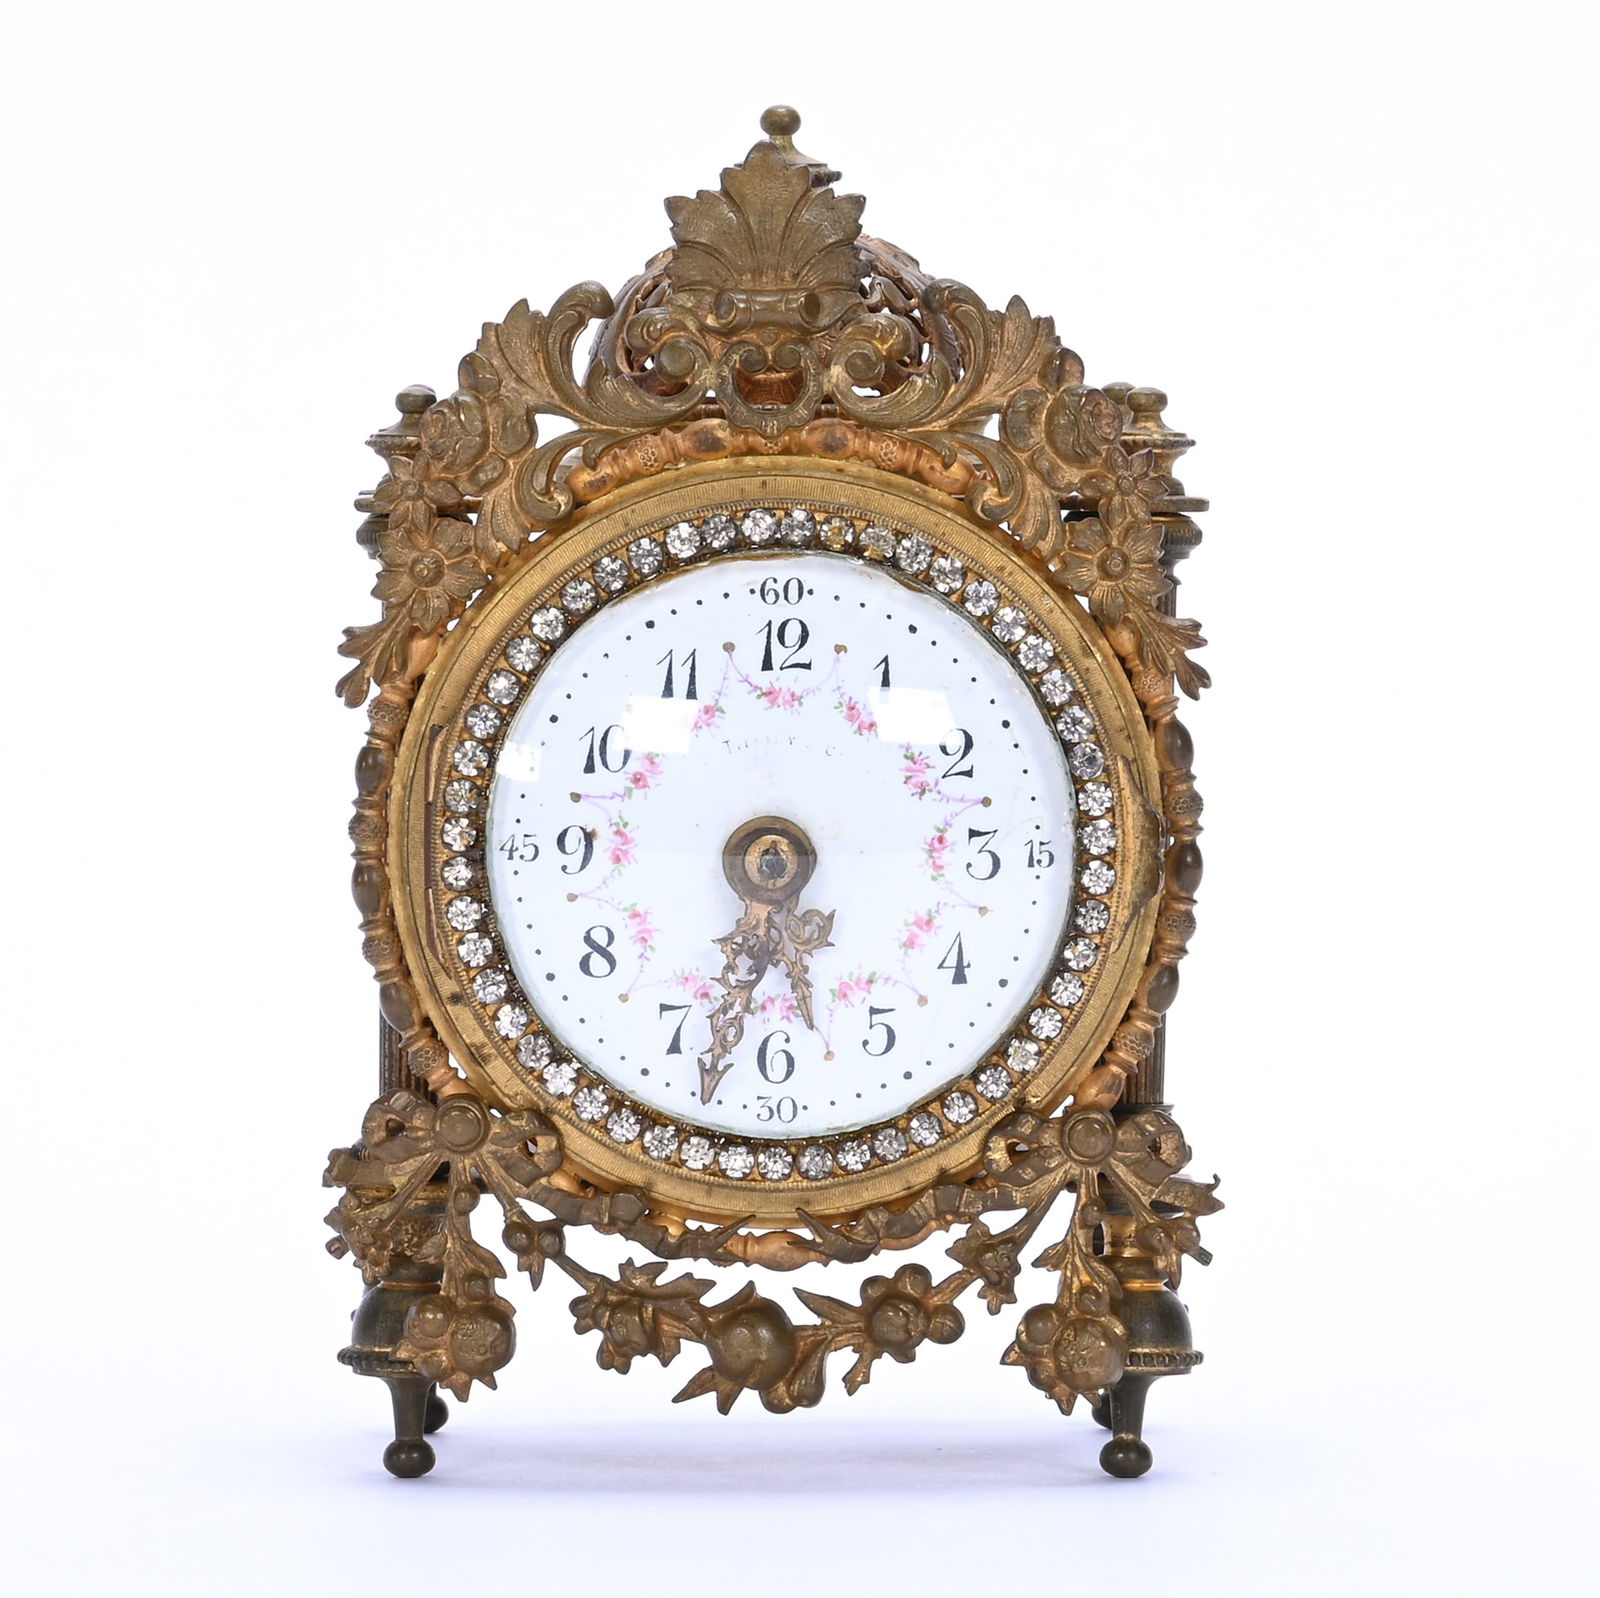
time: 5:32
